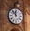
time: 11:53
